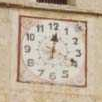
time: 12:18
